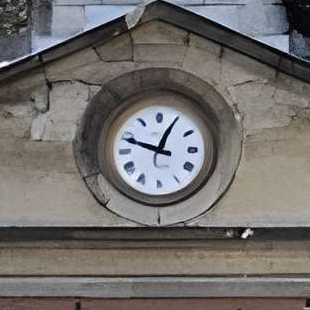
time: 12:48
